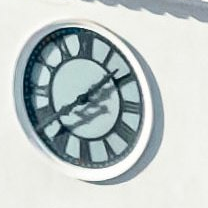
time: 1:39
